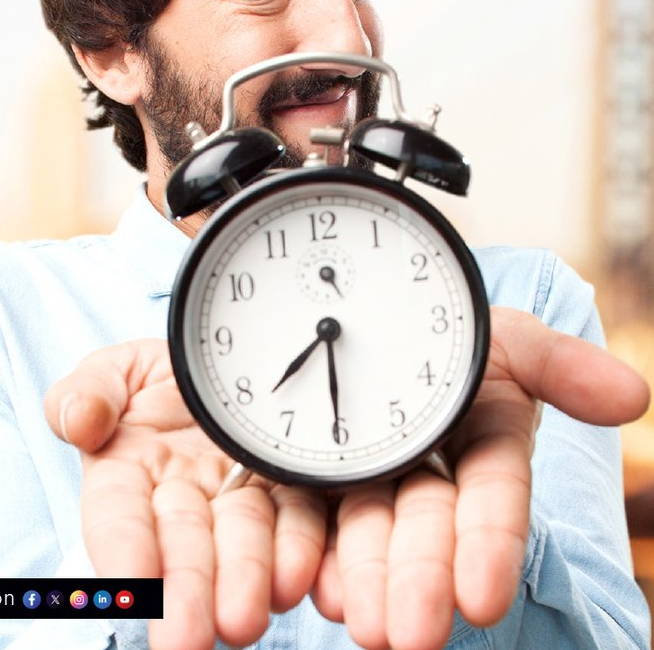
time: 7:30
